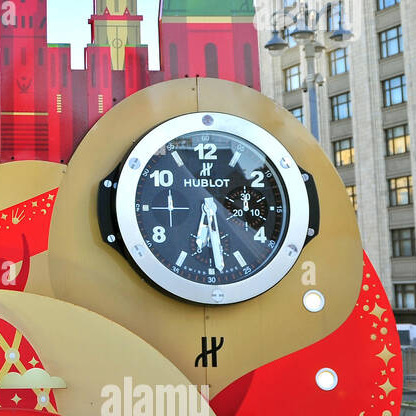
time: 6:28
